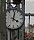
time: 4:02
